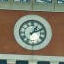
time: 1:10
